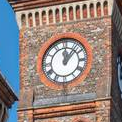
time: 12:07
